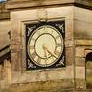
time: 5:21
